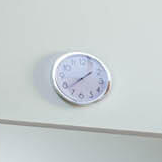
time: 1:38
